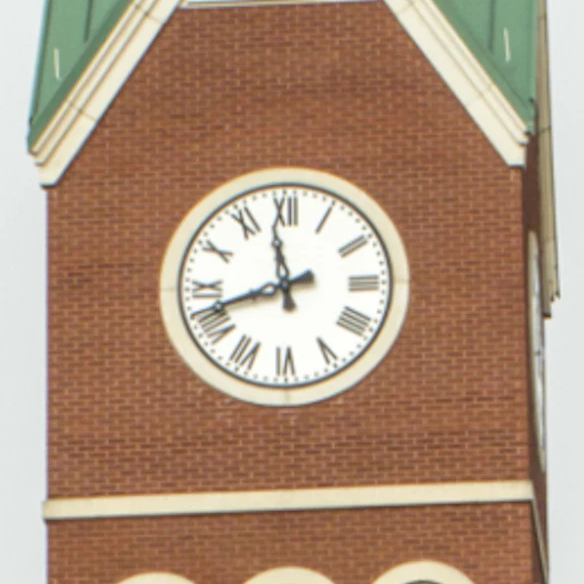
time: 11:41
